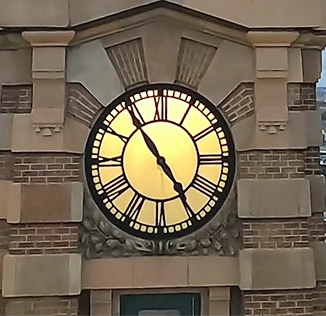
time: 4:53
